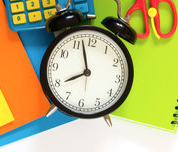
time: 7:57
